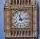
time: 11:13
